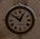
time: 12:51
